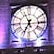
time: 6:56
